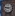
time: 9:12
